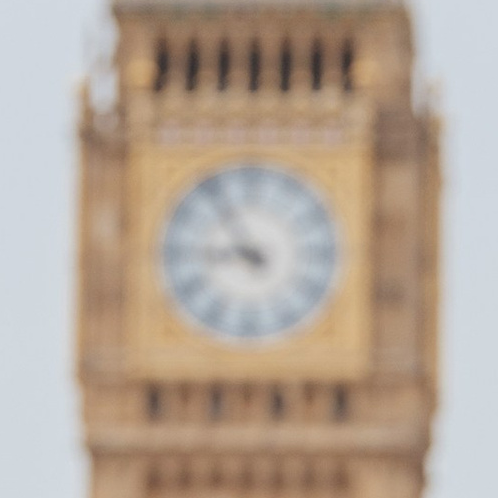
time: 8:54
